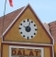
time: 10:03
